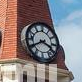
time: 3:40
